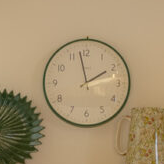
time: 1:57
